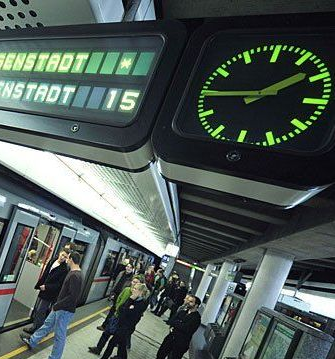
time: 1:44
